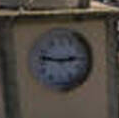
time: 2:46
